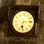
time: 6:13
